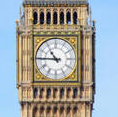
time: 10:45
